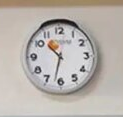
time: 10:32
